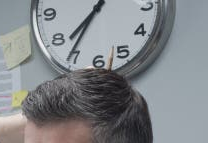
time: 7:35
